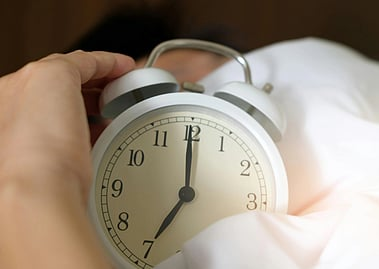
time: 7:00
